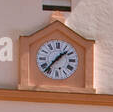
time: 1:36
